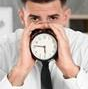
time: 5:46
